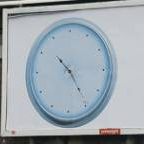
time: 10:24
